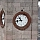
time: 10:43
